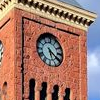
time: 5:20
